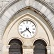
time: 4:39
